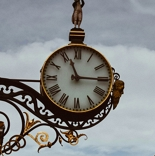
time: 11:15
